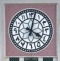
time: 4:02
